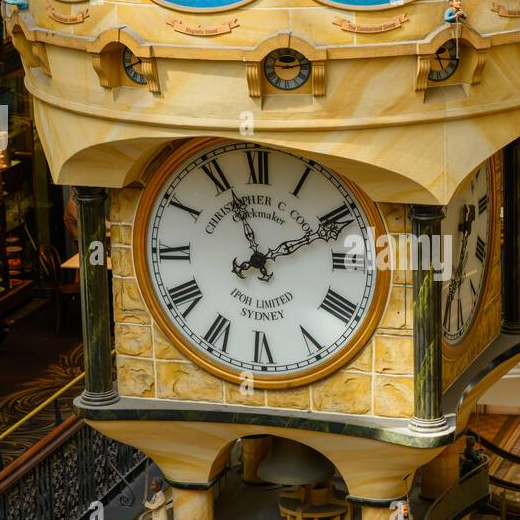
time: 11:10
